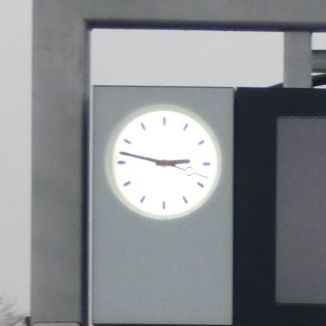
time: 2:47
